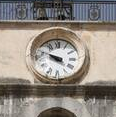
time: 9:48
